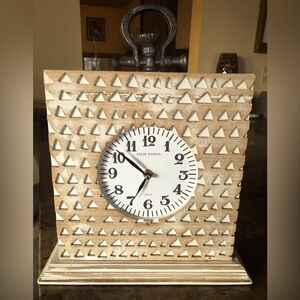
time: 6:50
